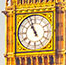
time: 10:56
